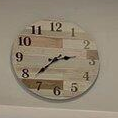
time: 2:38
